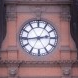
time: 2:43
